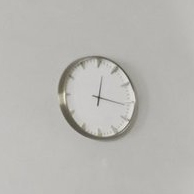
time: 12:16
